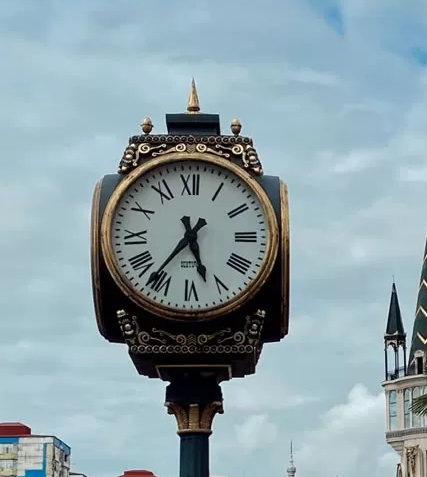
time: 5:36
